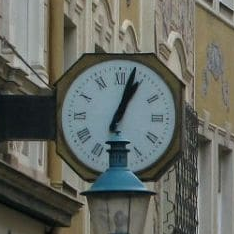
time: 1:03
